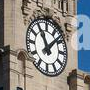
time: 11:07
